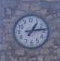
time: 1:13
